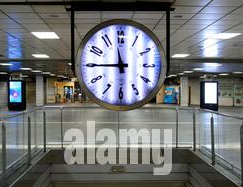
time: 11:44
